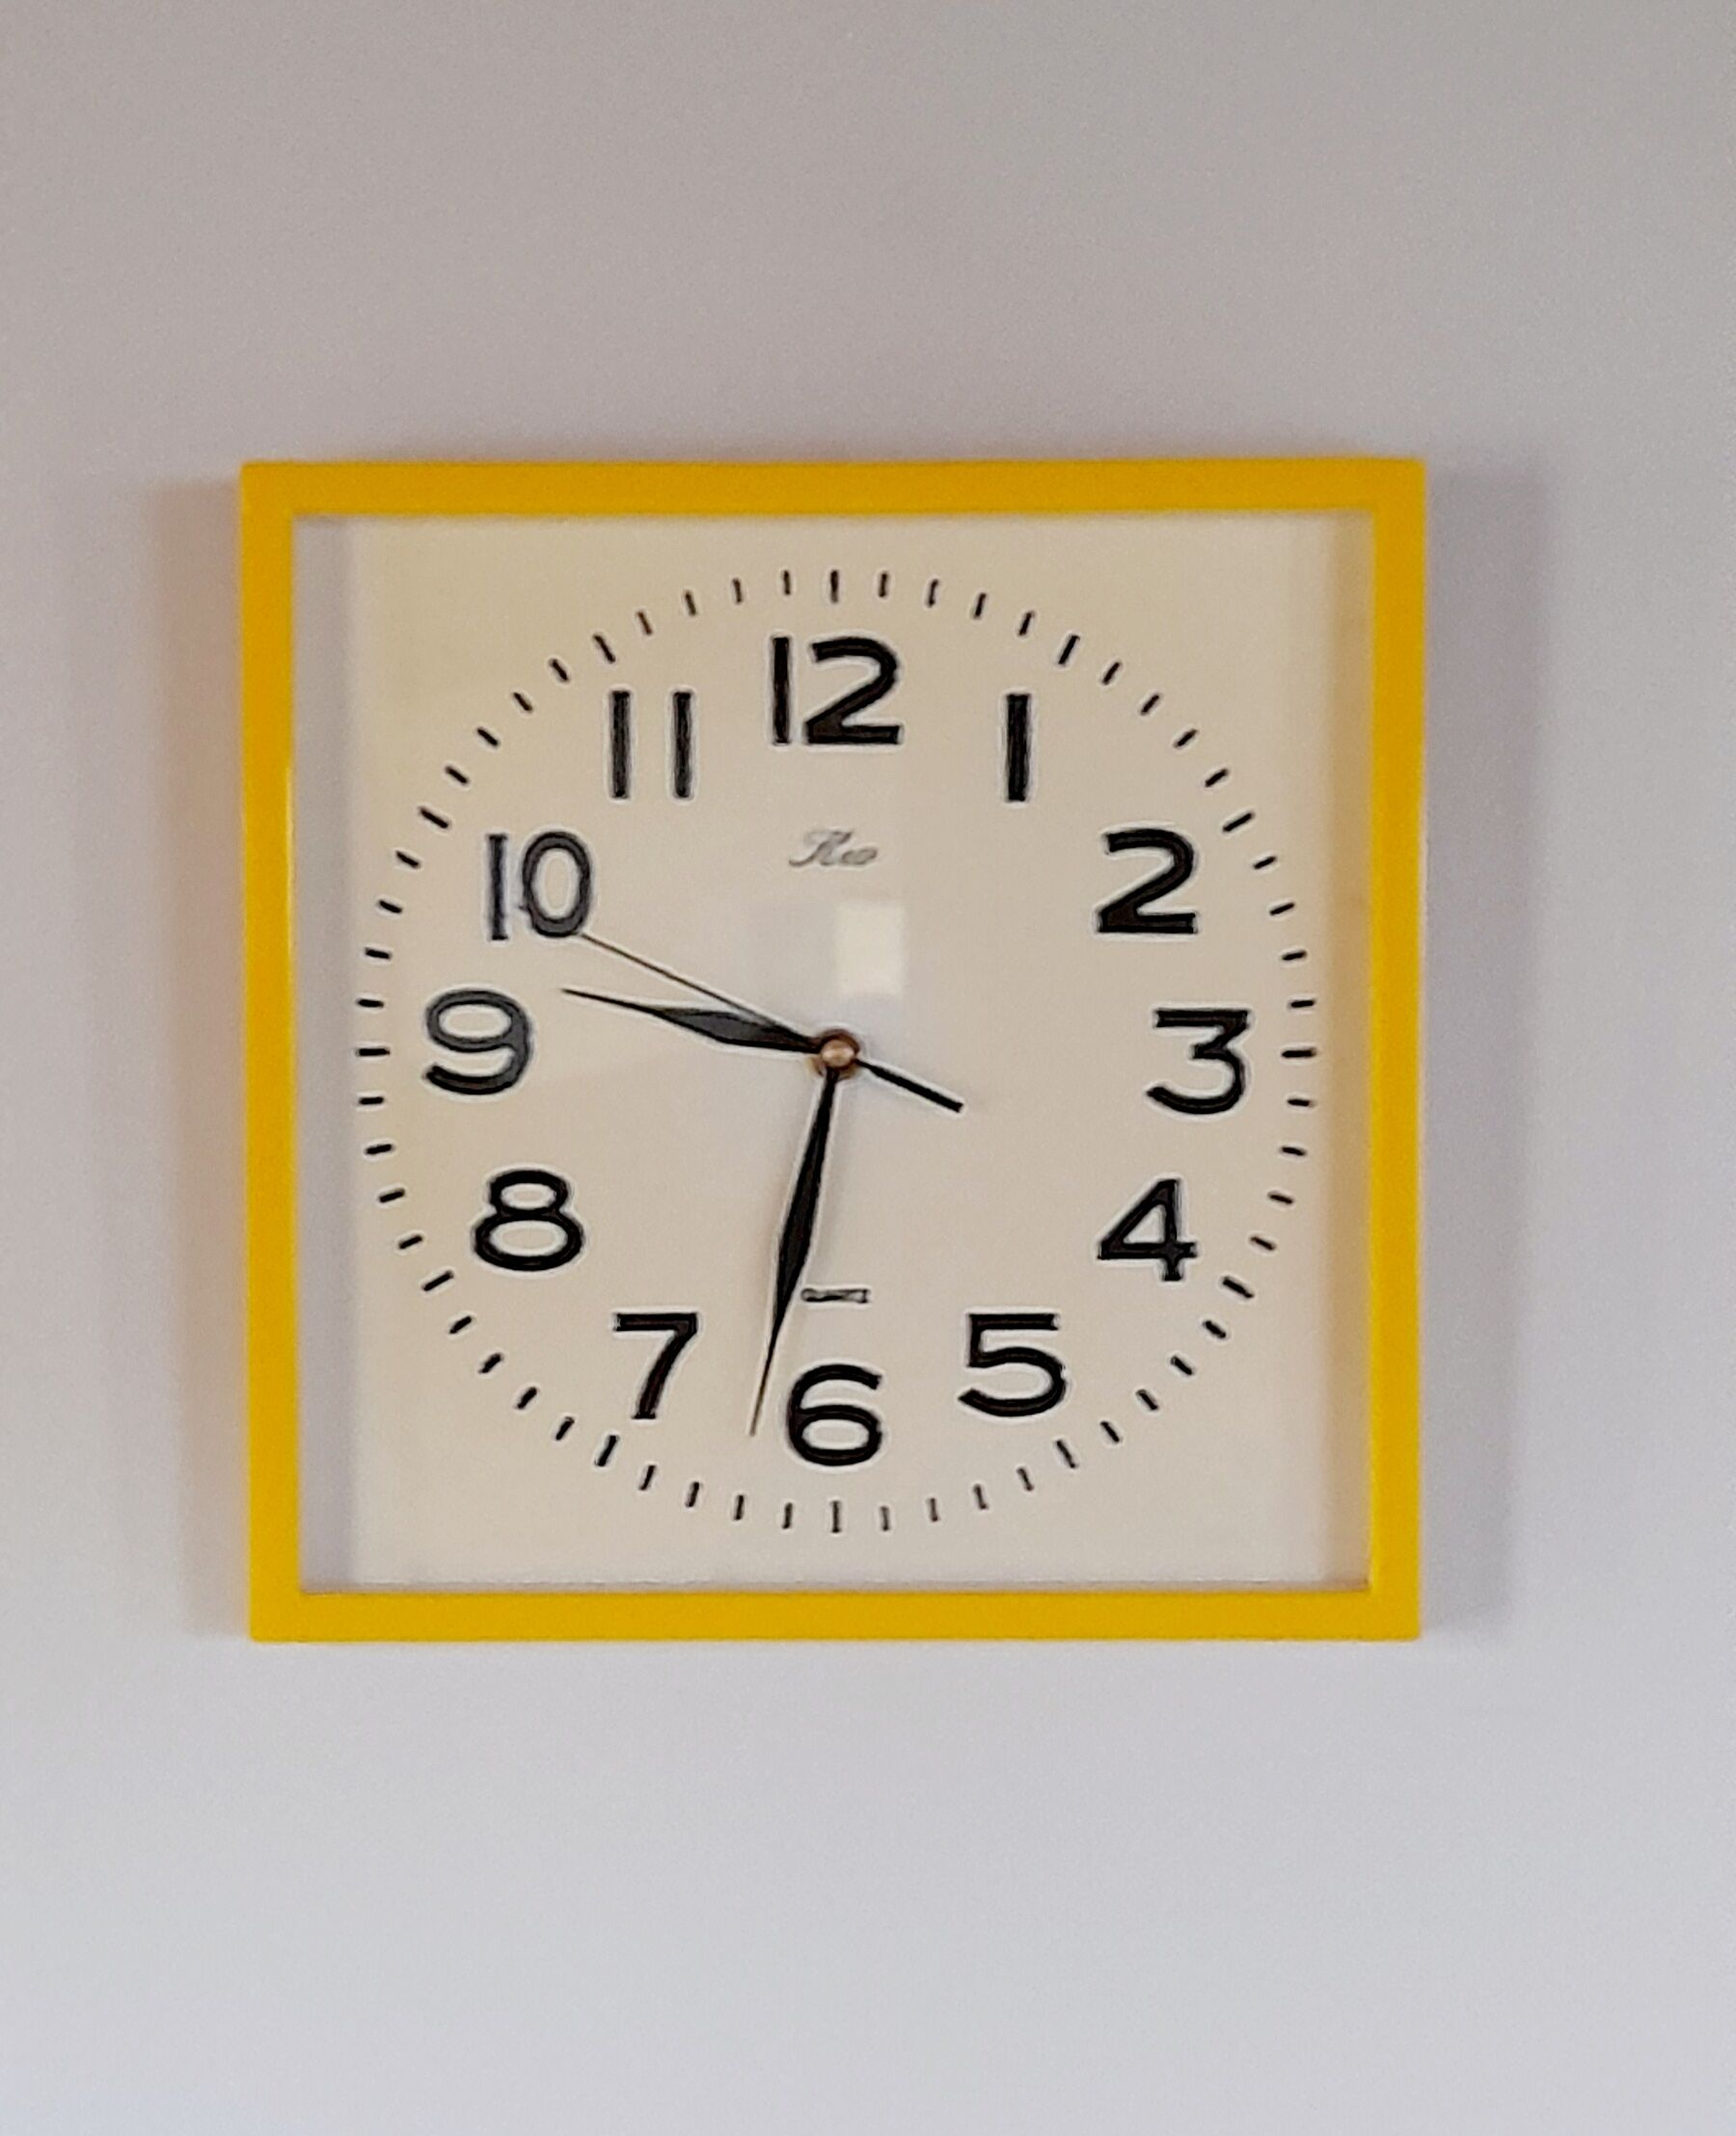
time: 9:32
